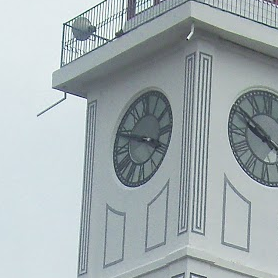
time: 3:48
